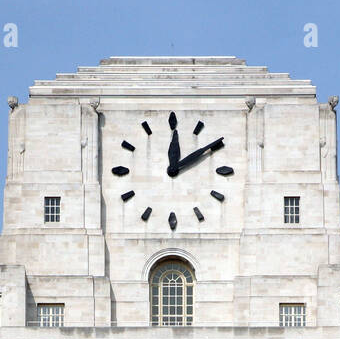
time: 12:09
